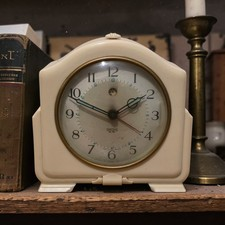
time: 1:48
